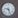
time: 9:26
